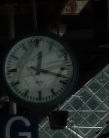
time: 12:18
